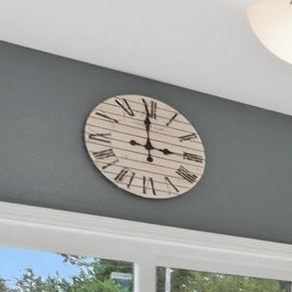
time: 2:59
